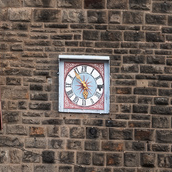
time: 5:53
